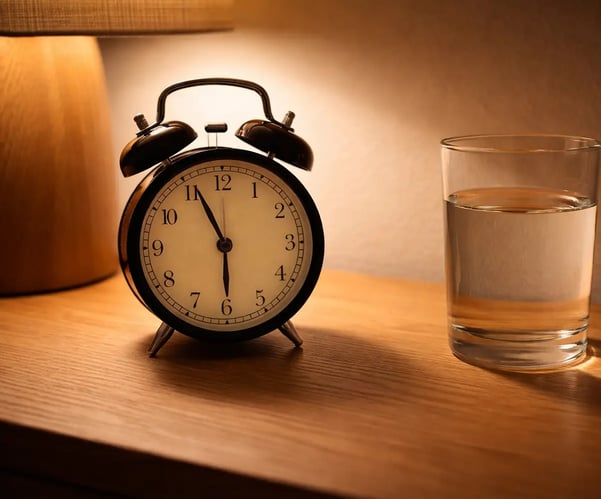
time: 5:55
